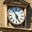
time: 5:55
